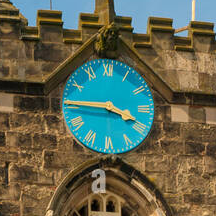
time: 3:45
